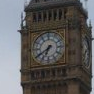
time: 6:39
